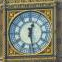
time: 12:28
